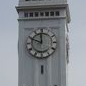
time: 11:49
